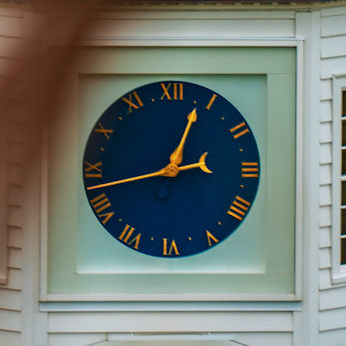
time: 12:42
